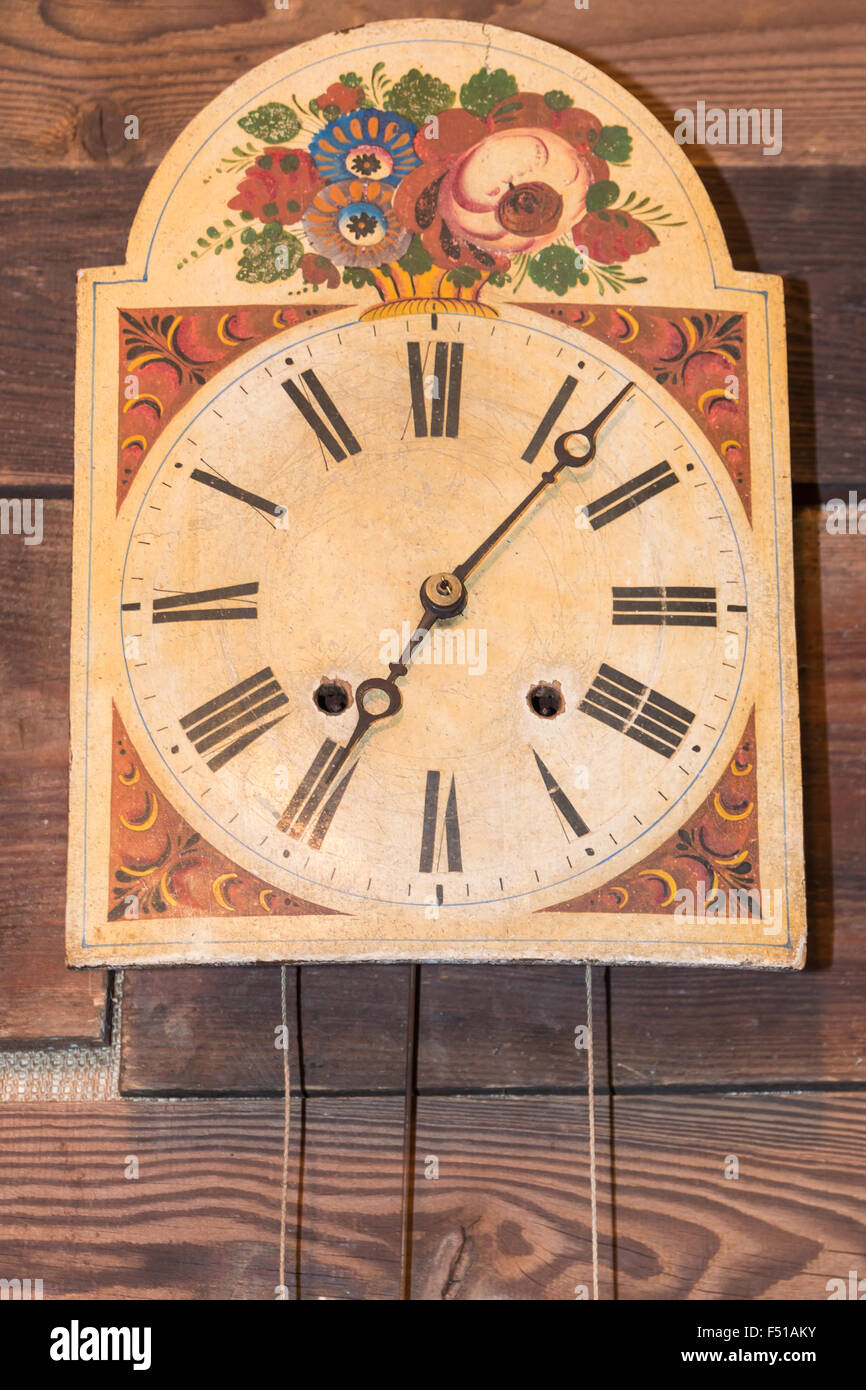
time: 7:07
